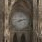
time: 8:12
